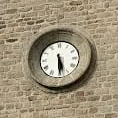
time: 5:29
